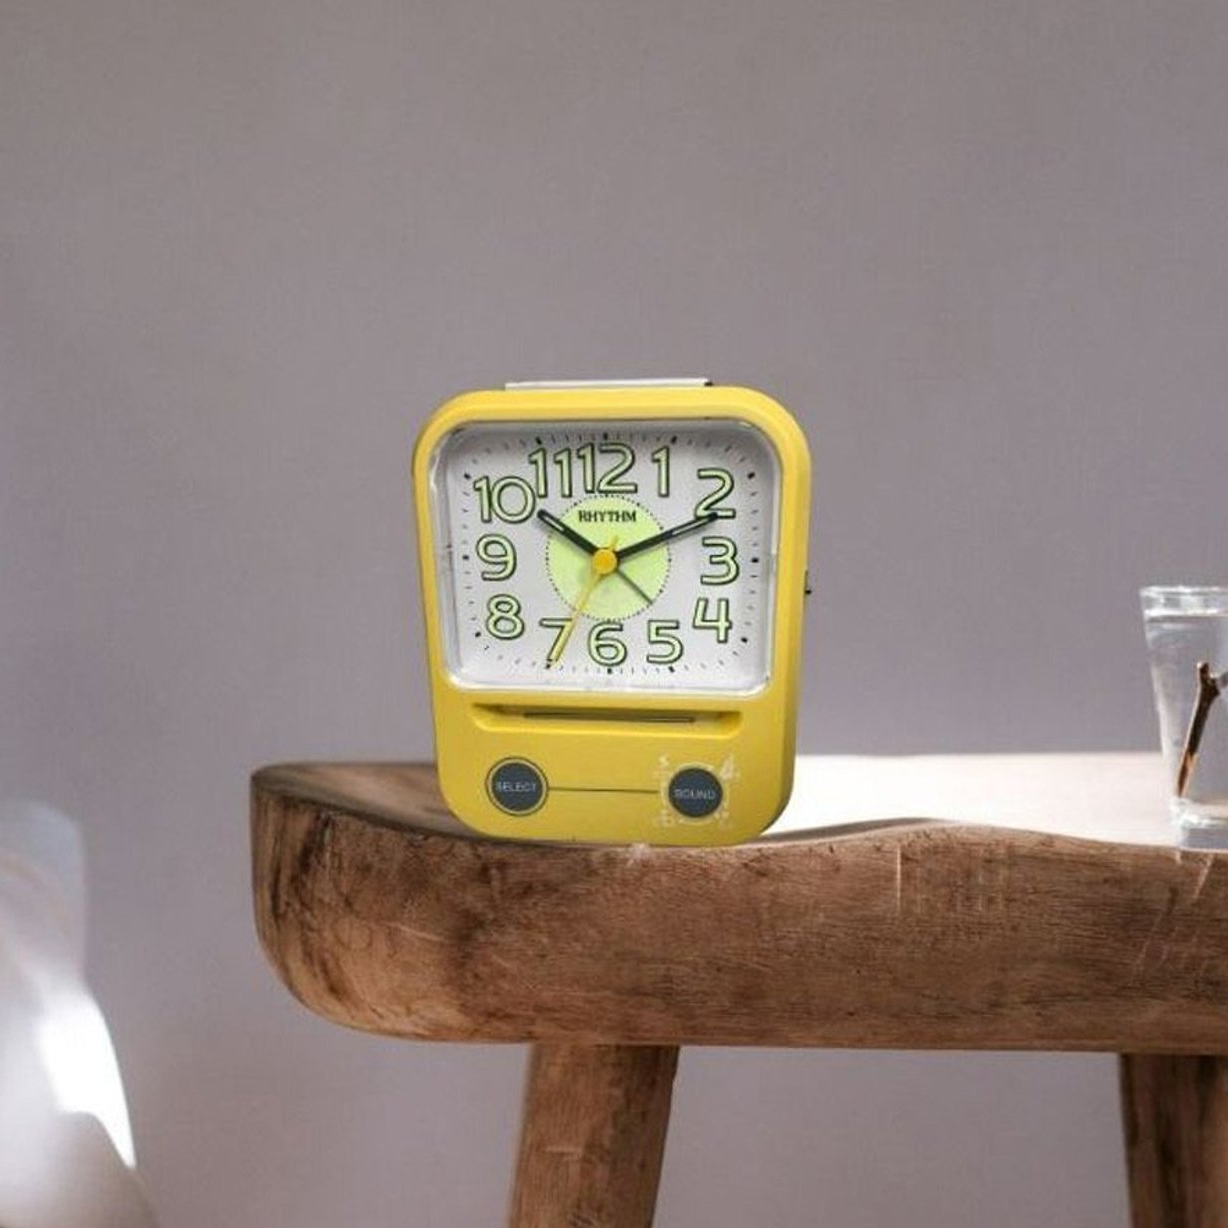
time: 10:11
